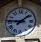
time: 1:46
